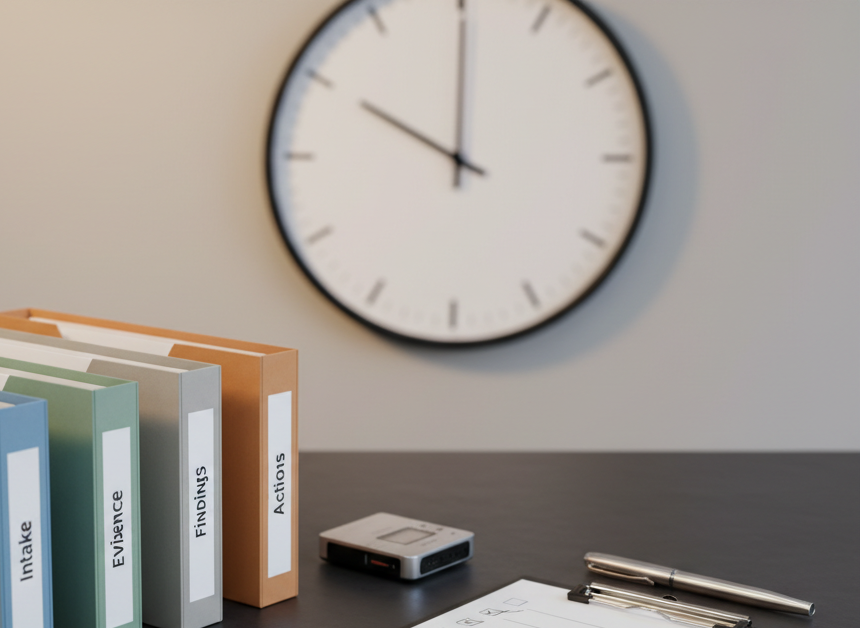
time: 10:00
